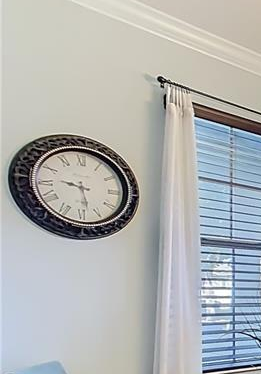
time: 9:28
